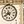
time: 5:40
